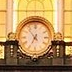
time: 6:53
